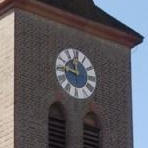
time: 10:45
